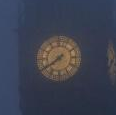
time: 7:39
